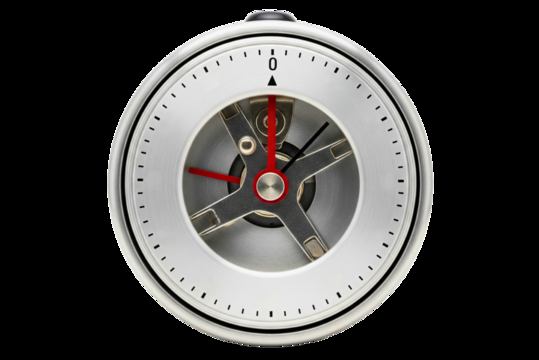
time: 1:24
